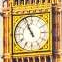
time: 10:56
